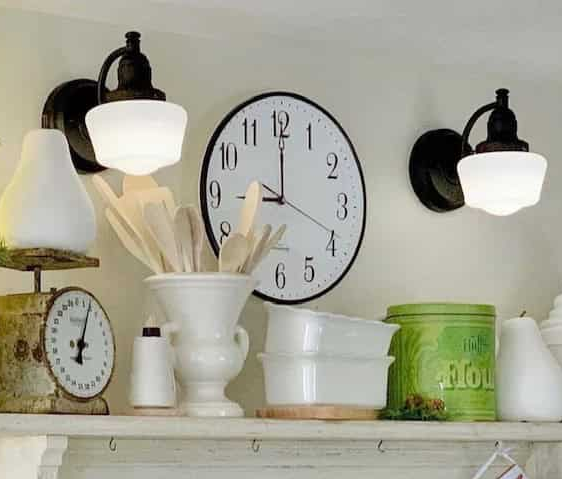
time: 9:00
